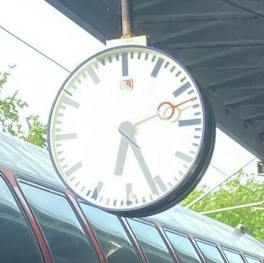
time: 6:26
